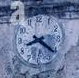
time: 8:21
